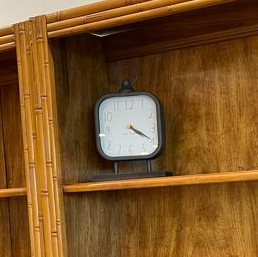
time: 4:19
